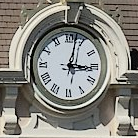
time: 3:02
